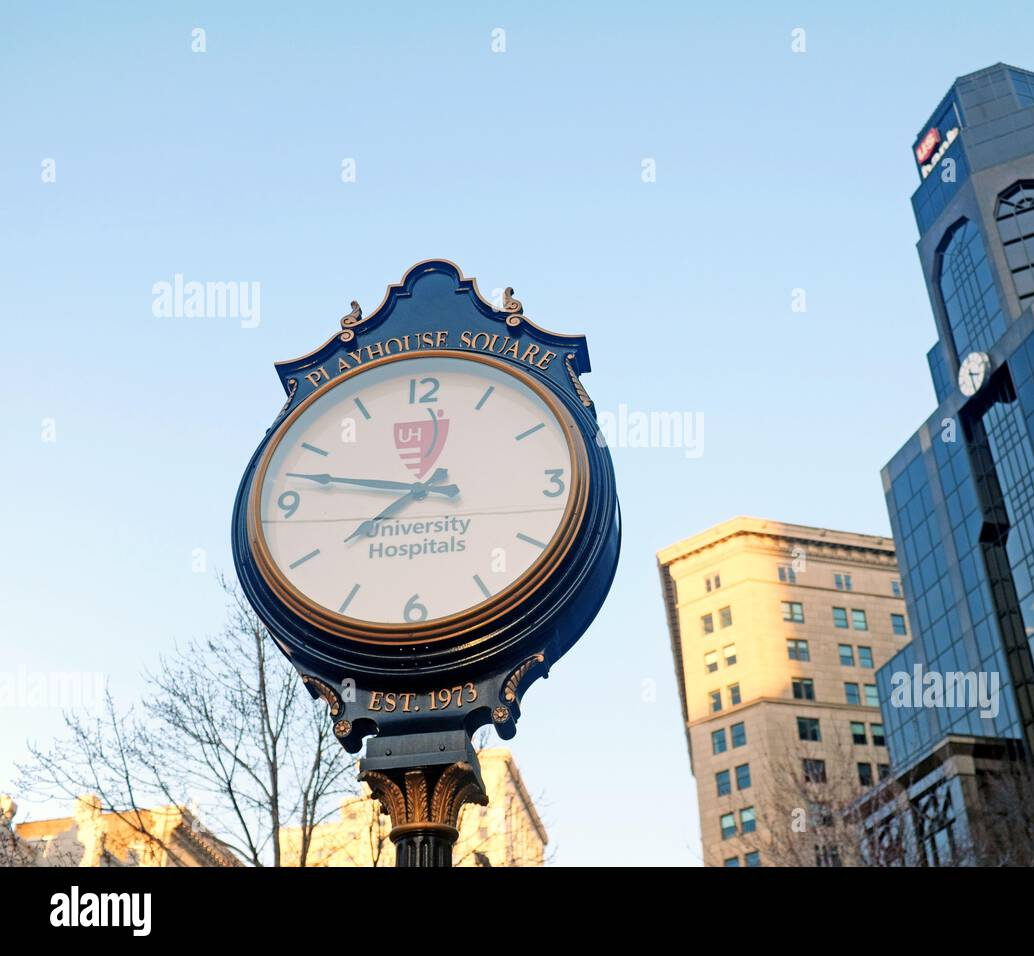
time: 7:47
